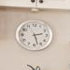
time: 2:27
